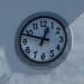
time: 12:48
